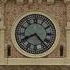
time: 8:23
